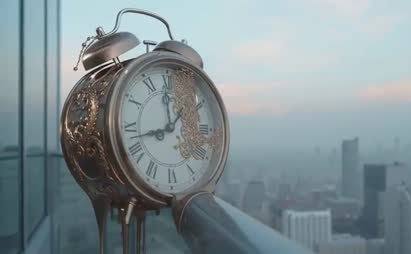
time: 11:42
